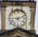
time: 9:11
